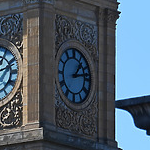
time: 1:13
